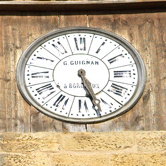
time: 5:26
